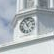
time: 11:07
